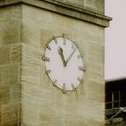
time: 11:06
